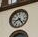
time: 8:24
